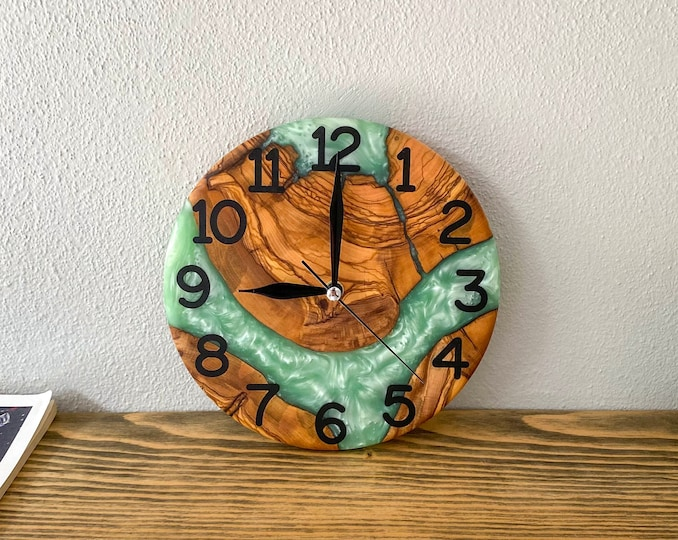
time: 9:00
